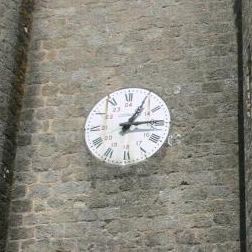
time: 1:14
